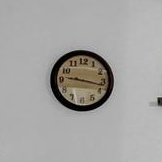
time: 9:17
